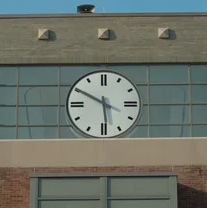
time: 5:50
